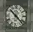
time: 10:22
